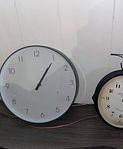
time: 1:05
